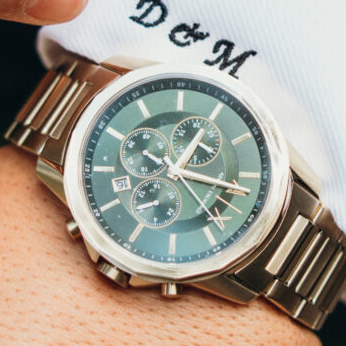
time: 1:17
